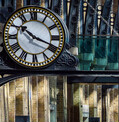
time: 10:18
